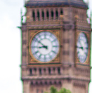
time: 8:51
